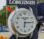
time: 6:14
